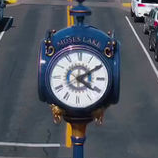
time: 4:09
